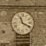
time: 11:19
